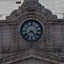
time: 4:39
